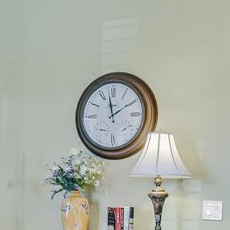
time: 1:58
